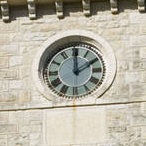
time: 2:00
